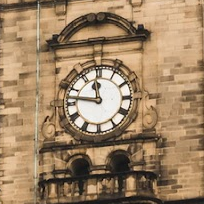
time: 11:46
